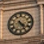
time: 4:24
